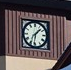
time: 1:31
